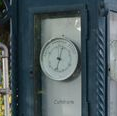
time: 12:32
